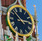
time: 2:52
